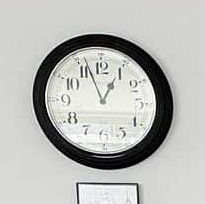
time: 12:56
